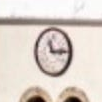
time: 11:14
